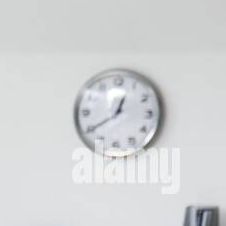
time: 12:39
